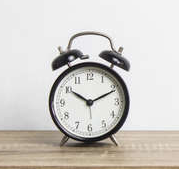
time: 10:10
